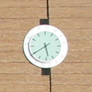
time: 5:39
